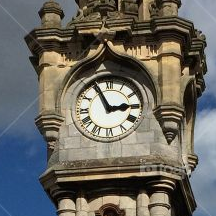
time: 2:55
